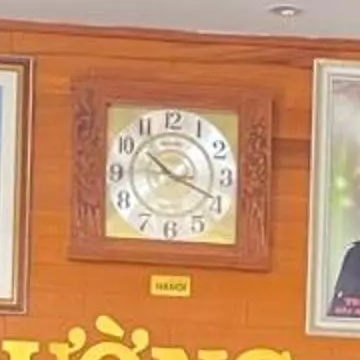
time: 10:19
